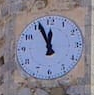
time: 11:55
